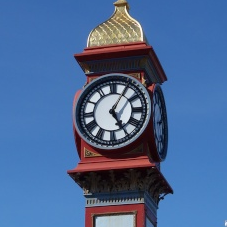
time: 5:05
